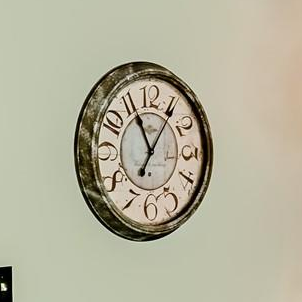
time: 11:05
